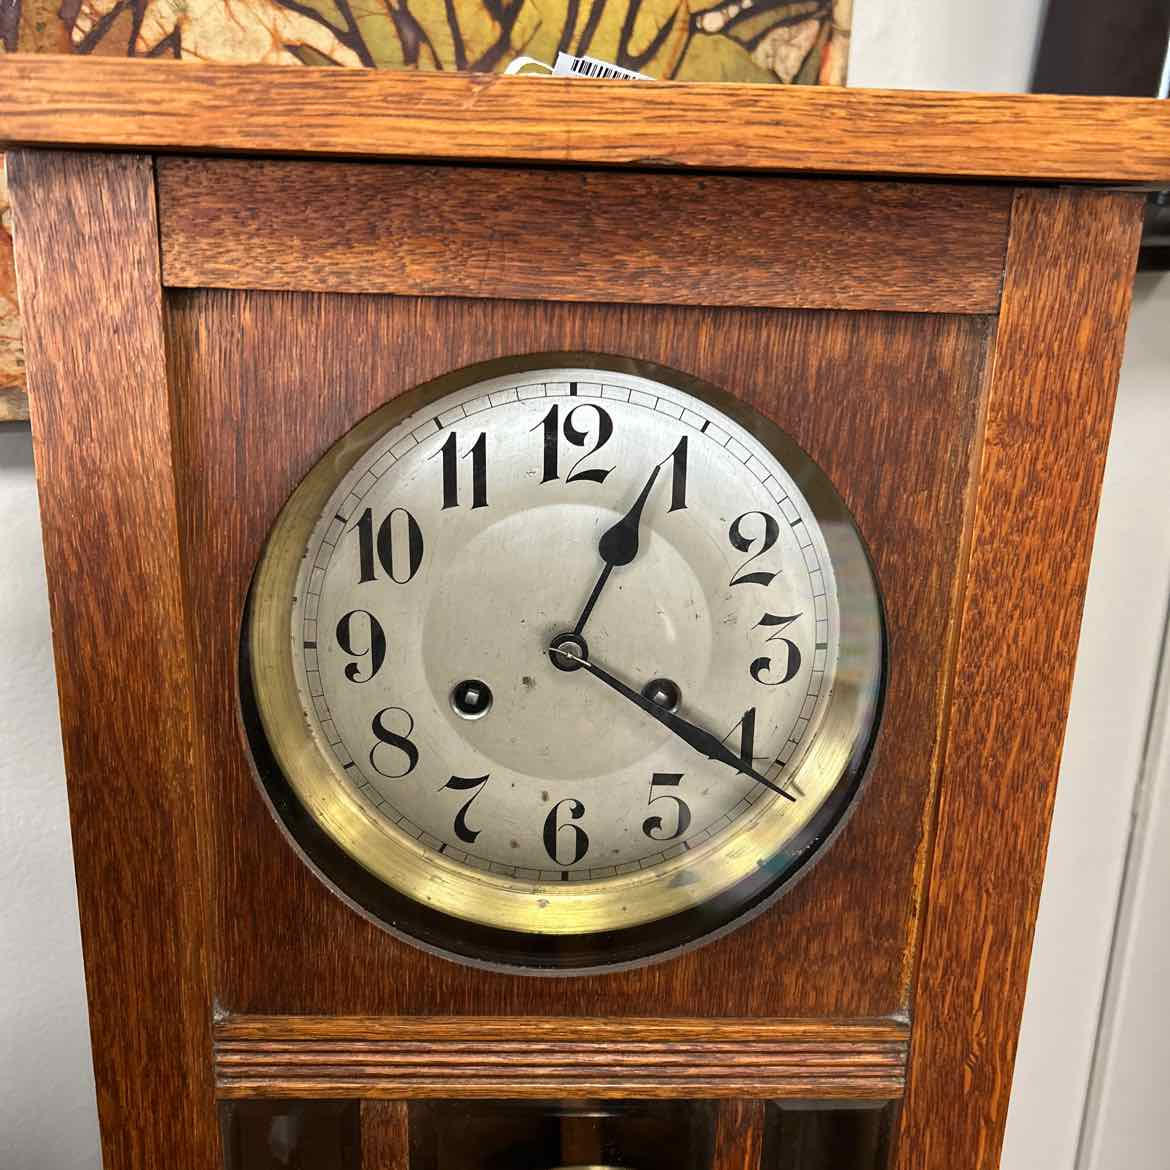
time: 4:04
